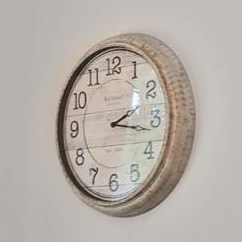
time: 2:16
